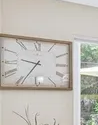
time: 9:34
